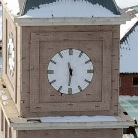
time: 11:30
